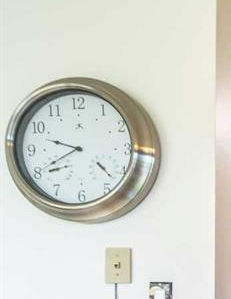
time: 9:40
